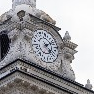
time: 2:23
